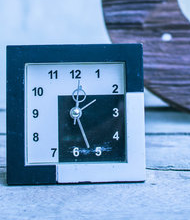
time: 12:26
